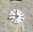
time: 11:46
